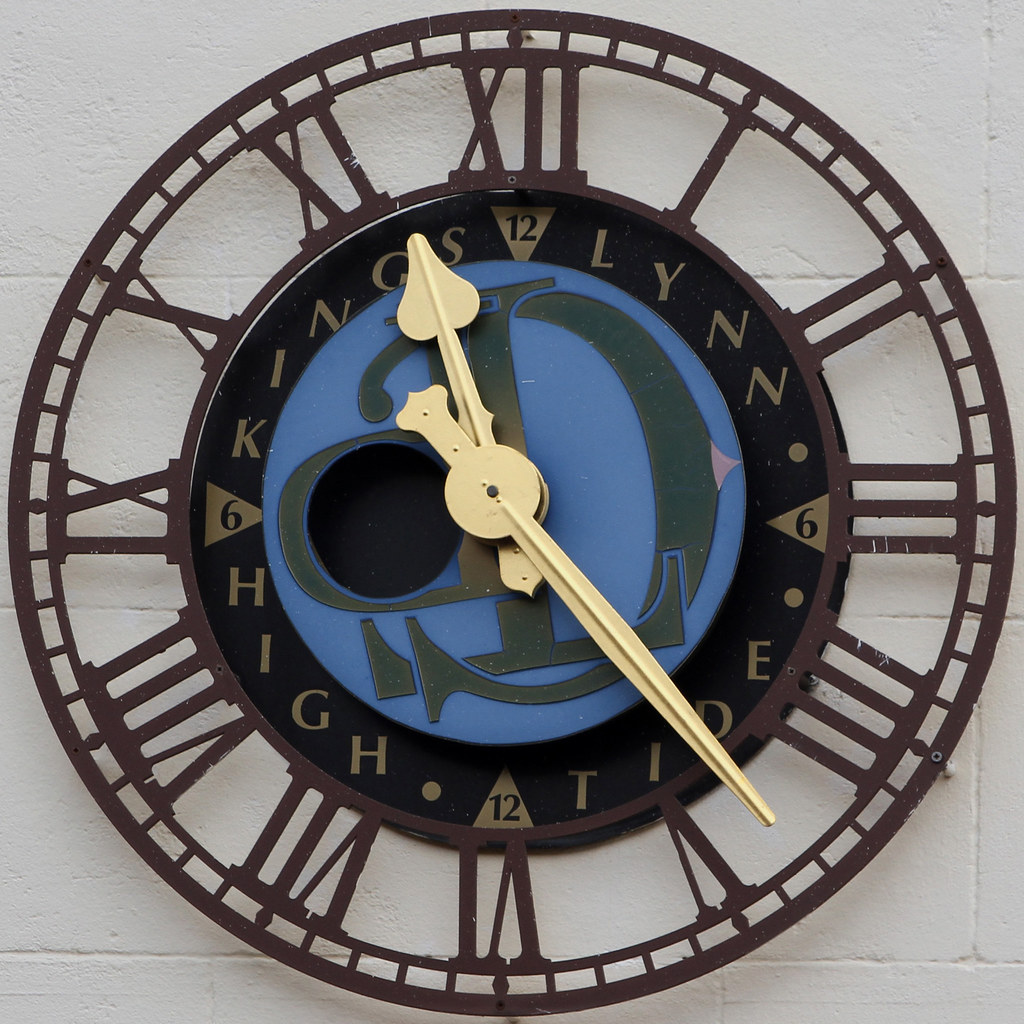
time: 11:23
